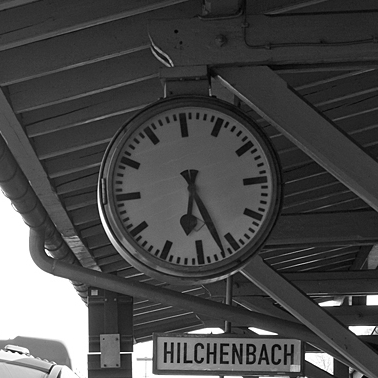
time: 6:26
